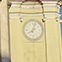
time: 8:03
